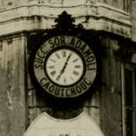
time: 7:04
